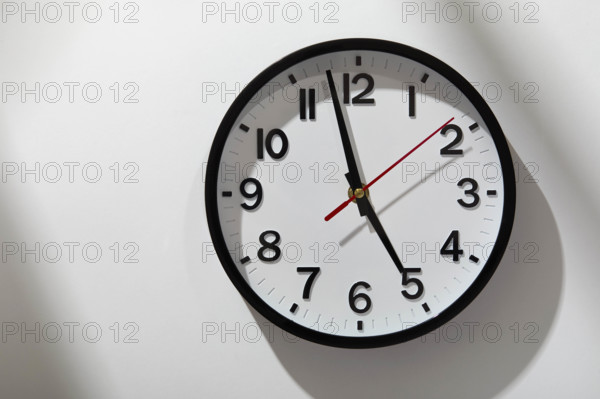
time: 4:57
